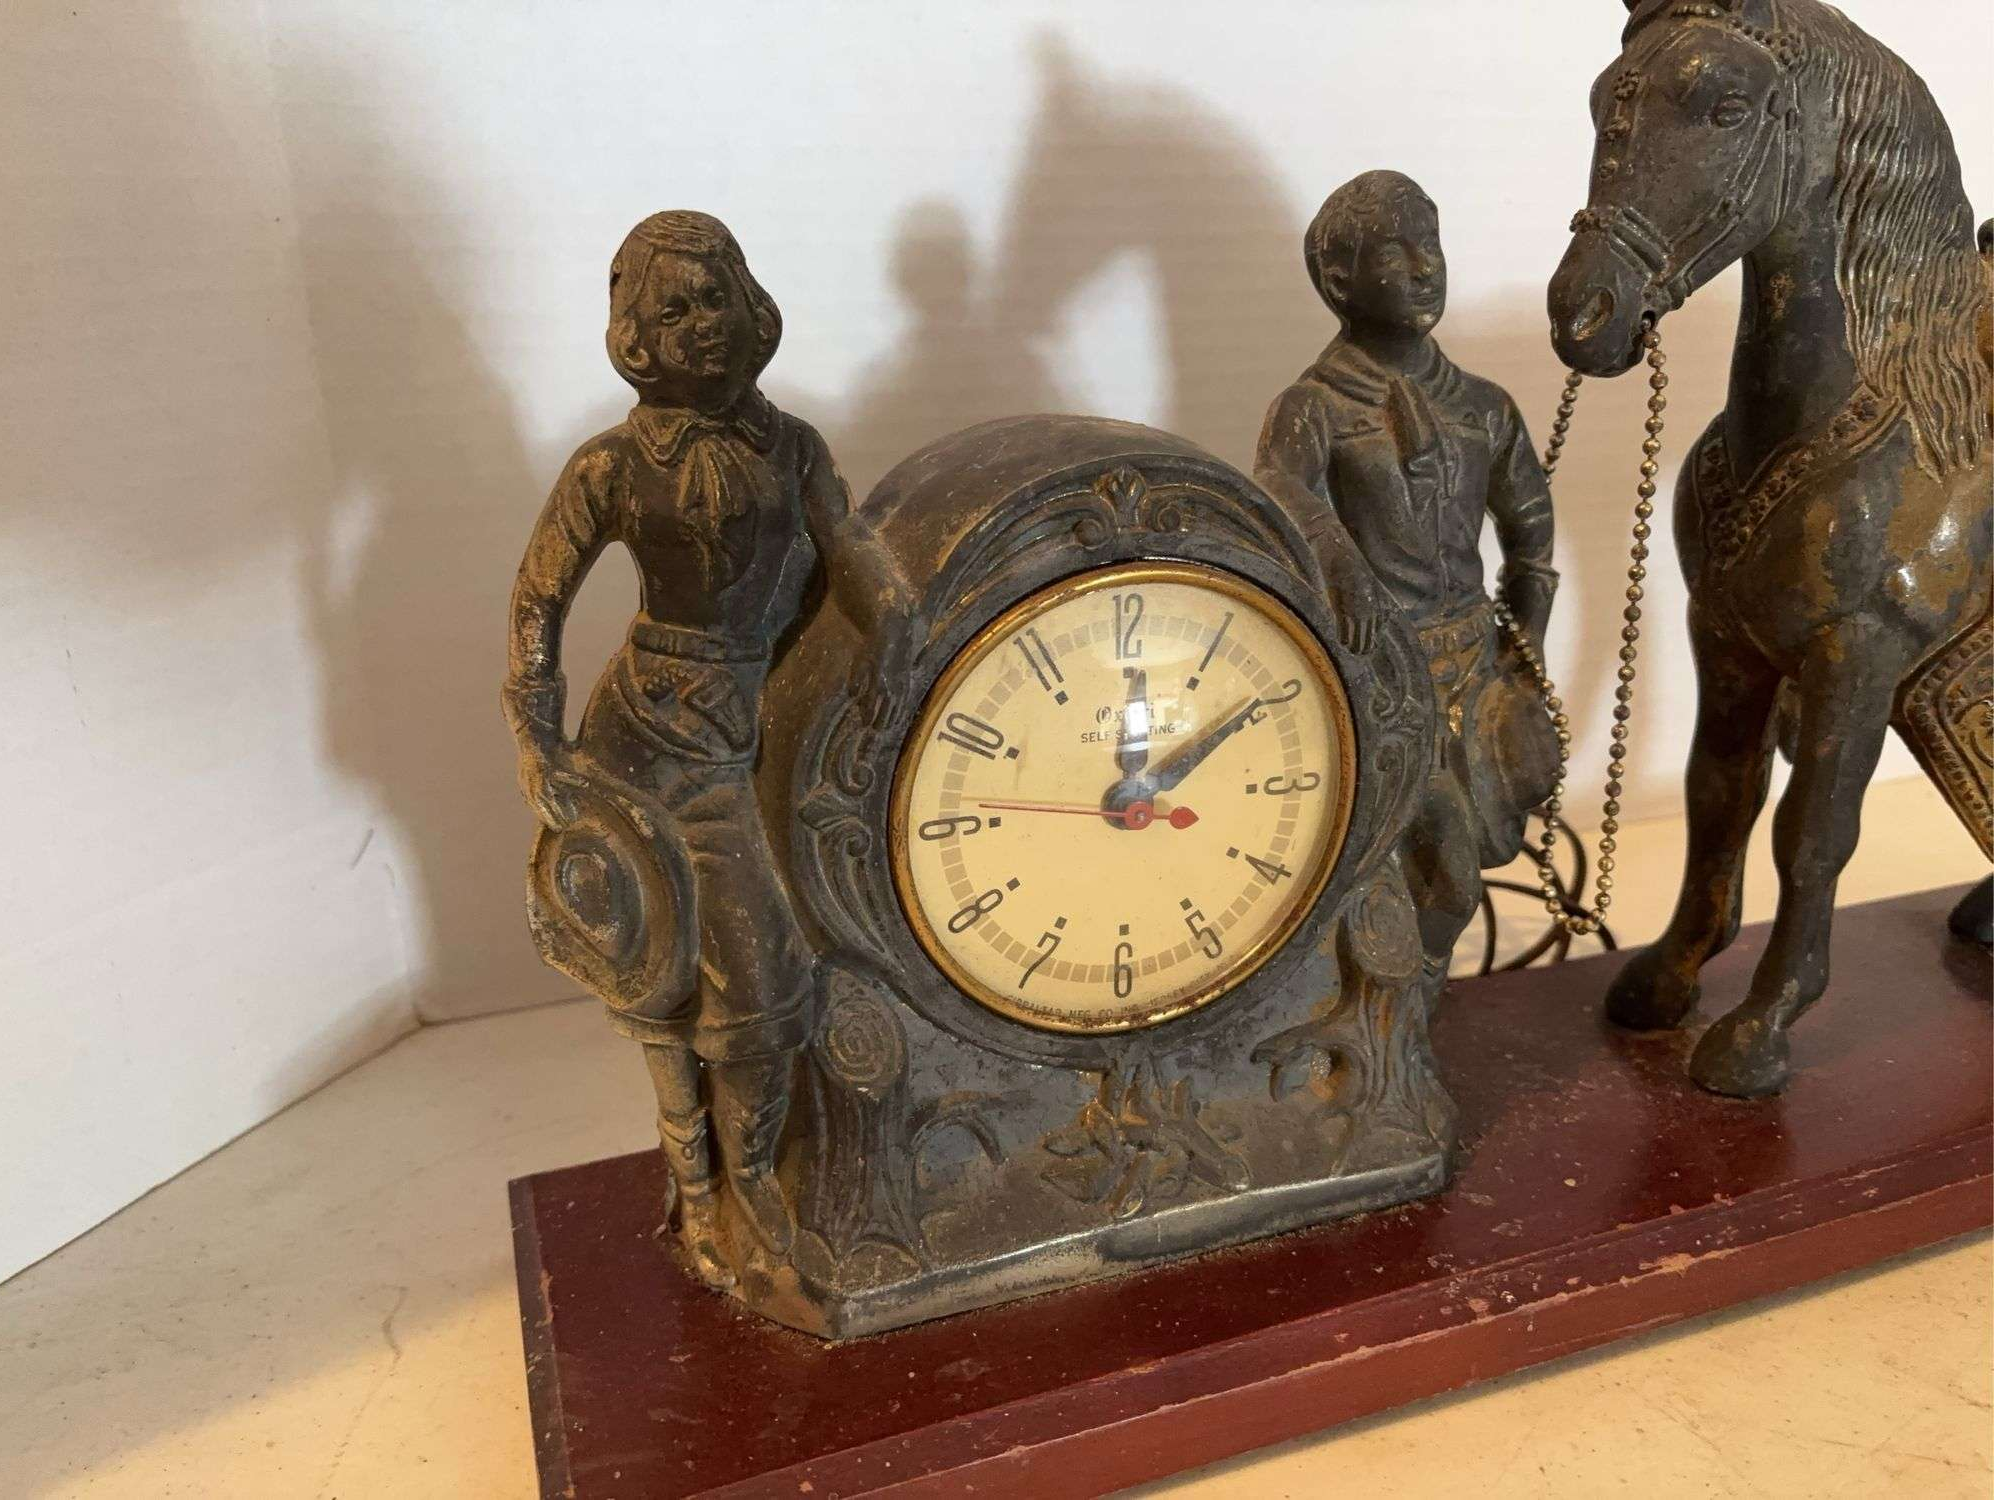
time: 12:09
